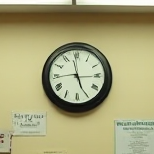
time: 5:14
